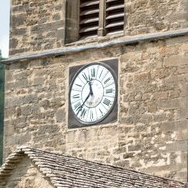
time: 11:37
